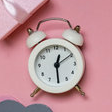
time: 12:29
